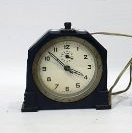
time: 3:52
